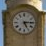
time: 5:14
